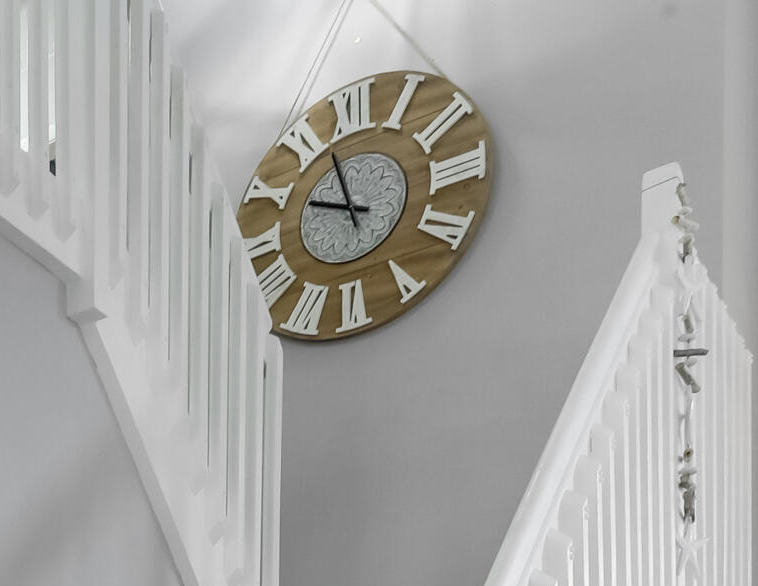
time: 9:57
